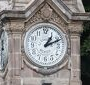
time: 1:11
